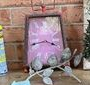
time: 3:45
